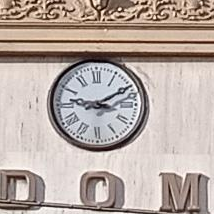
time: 9:09
